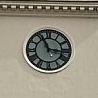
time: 11:16
